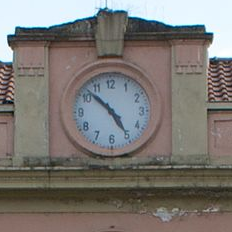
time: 4:52
